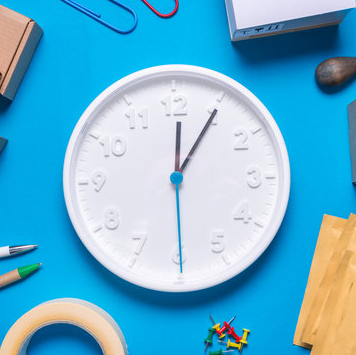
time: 12:05
